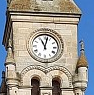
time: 11:02
